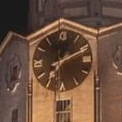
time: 7:10
